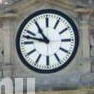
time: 10:47
